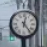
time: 12:23
